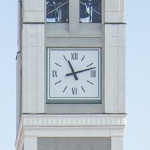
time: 11:12
